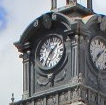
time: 1:35
